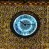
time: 10:14
